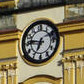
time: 6:46
